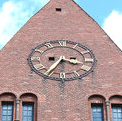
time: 3:35
